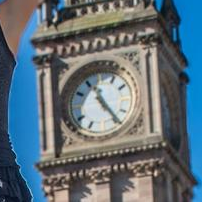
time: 11:24
